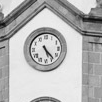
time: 5:23
